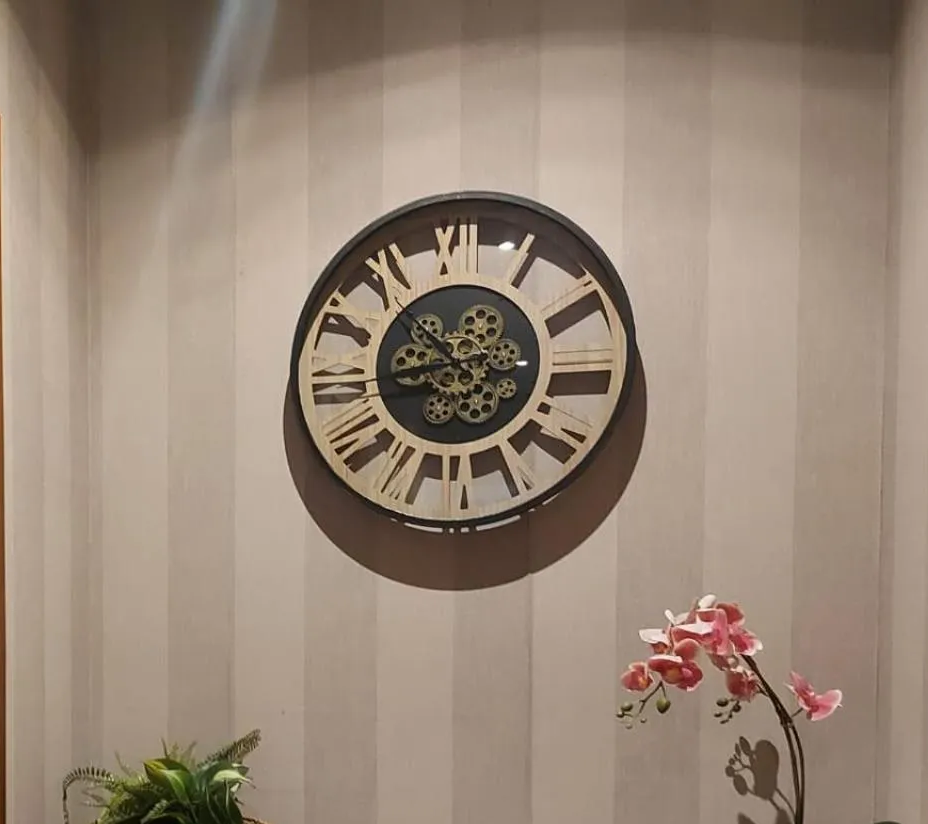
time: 10:45
